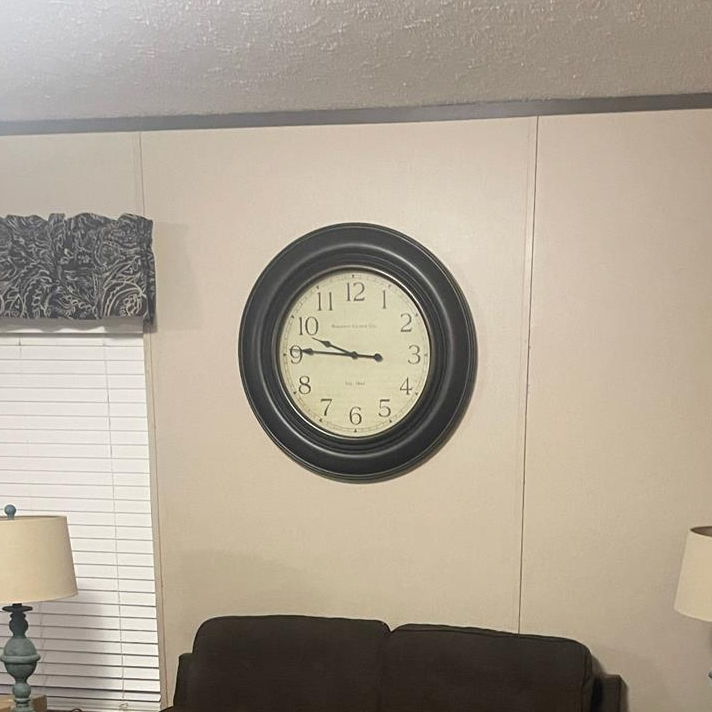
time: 9:45
